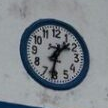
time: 1:31
